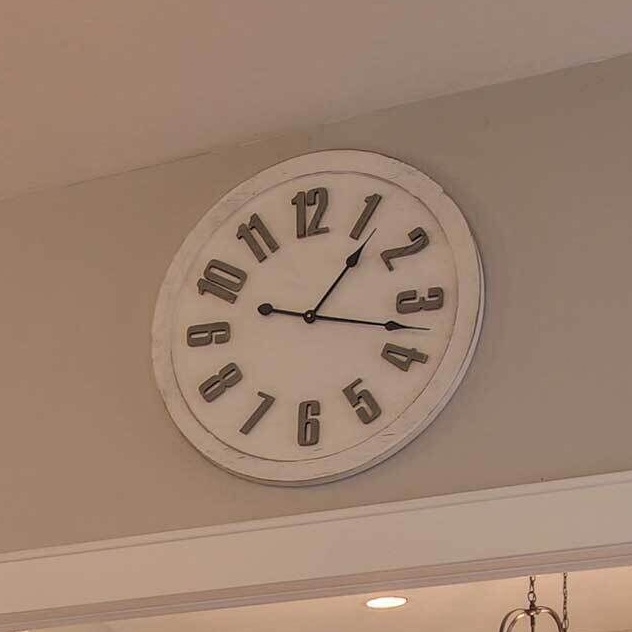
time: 1:17
